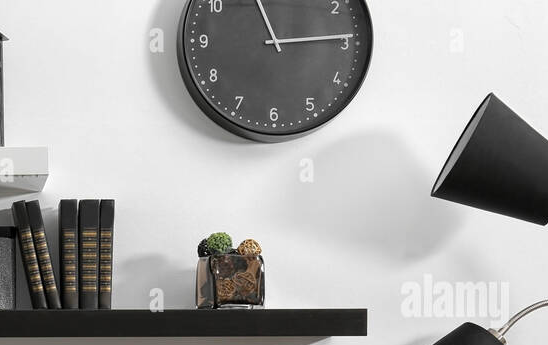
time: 11:14
